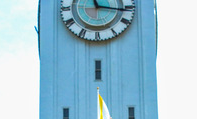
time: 11:16
